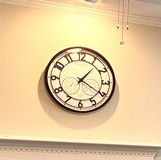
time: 1:20
